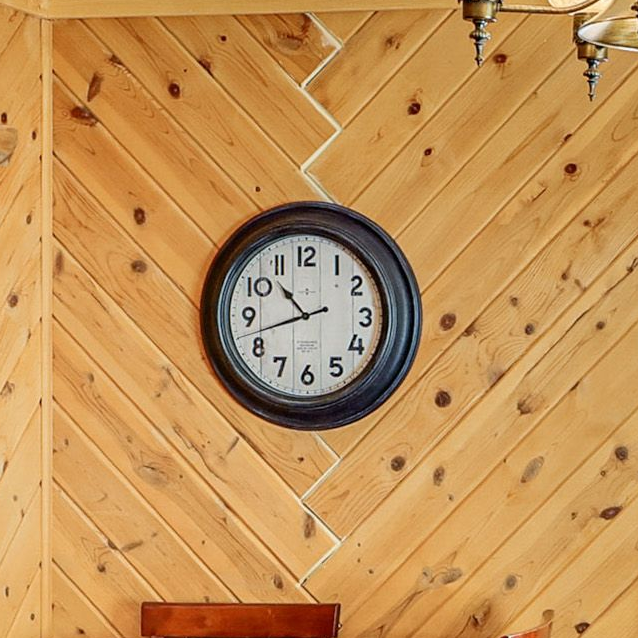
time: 10:42
